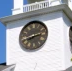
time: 2:40
